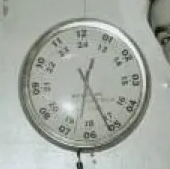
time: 12:26
